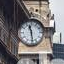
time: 11:28
